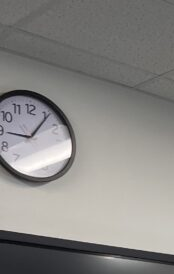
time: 9:06
